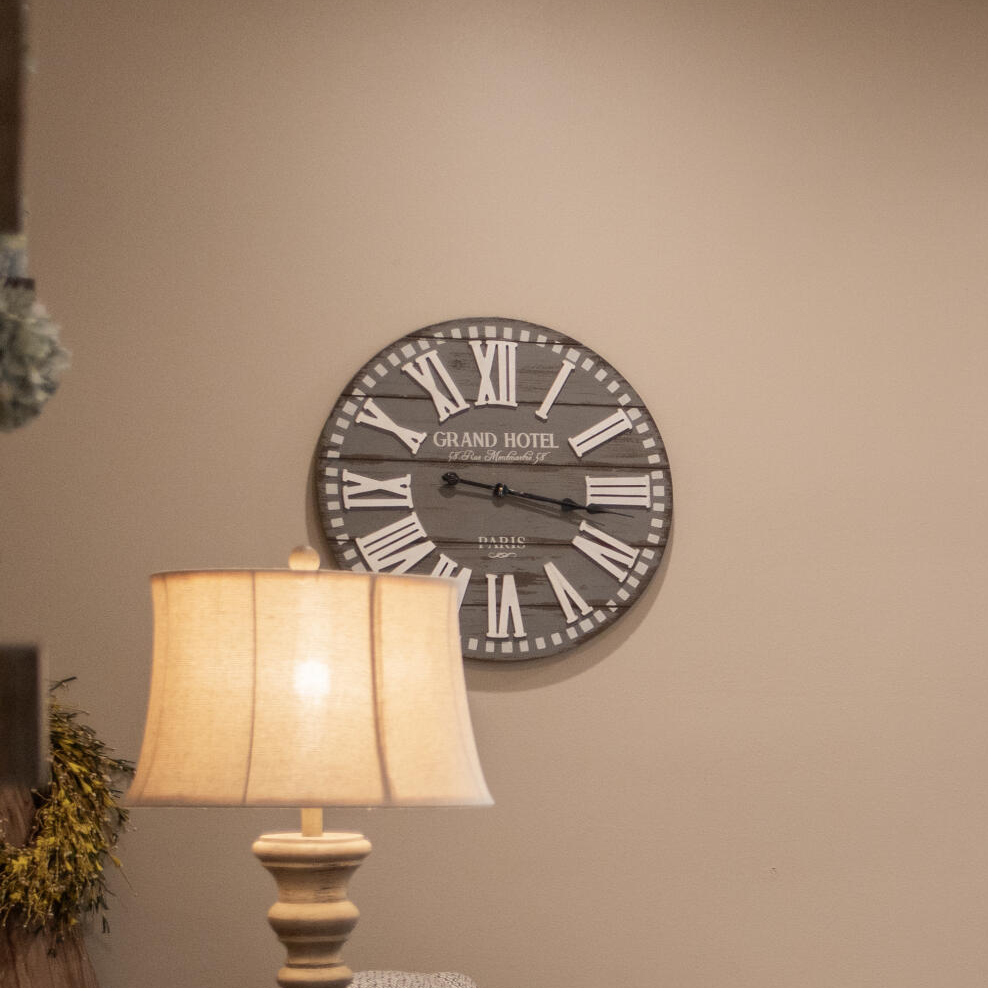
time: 3:16
